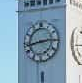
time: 2:43
